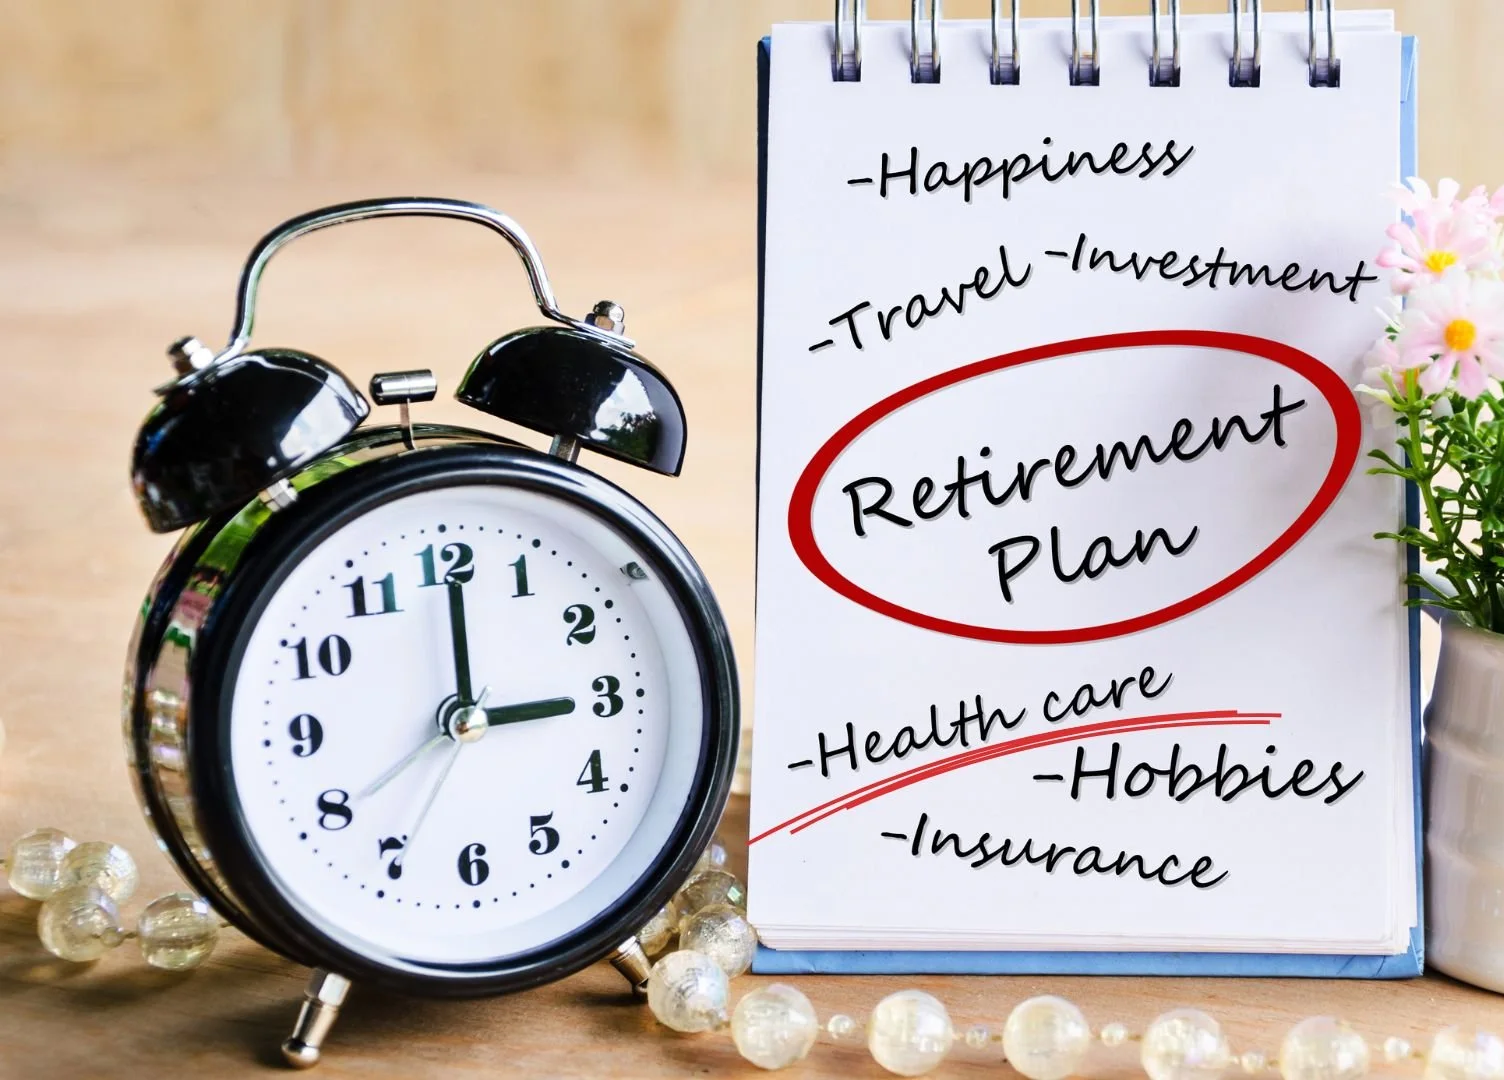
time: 3:00
